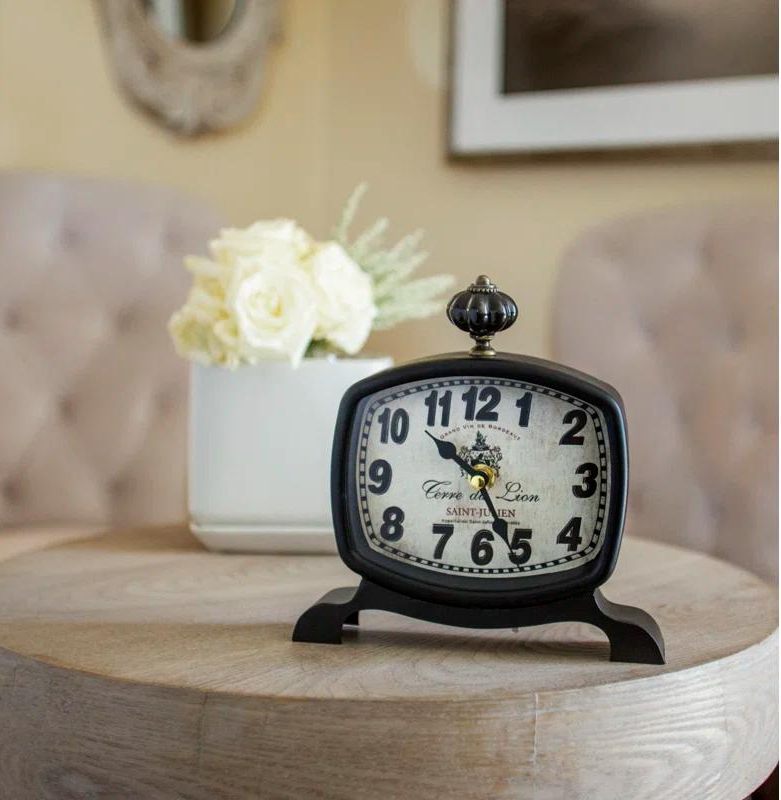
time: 10:26
